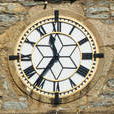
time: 11:35
